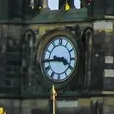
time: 3:44
